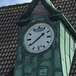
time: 1:39
